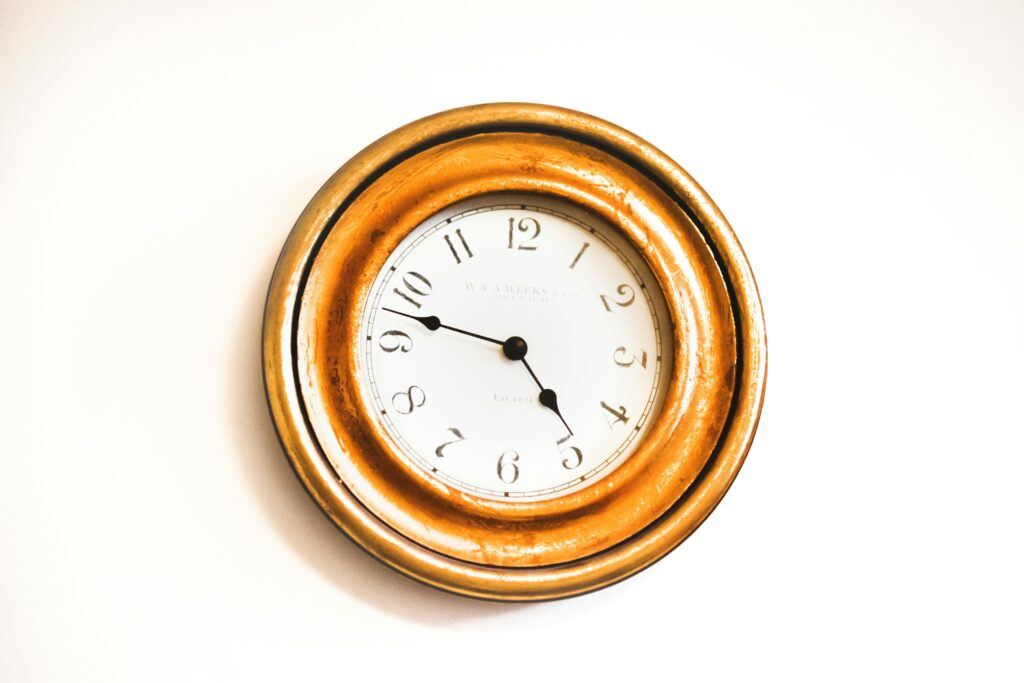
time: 4:46
